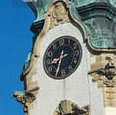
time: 8:32
